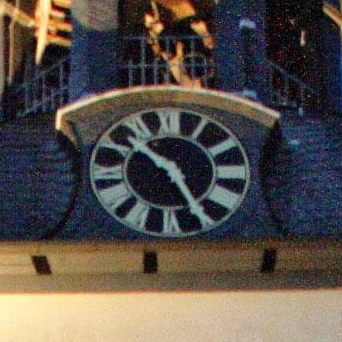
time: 10:24
